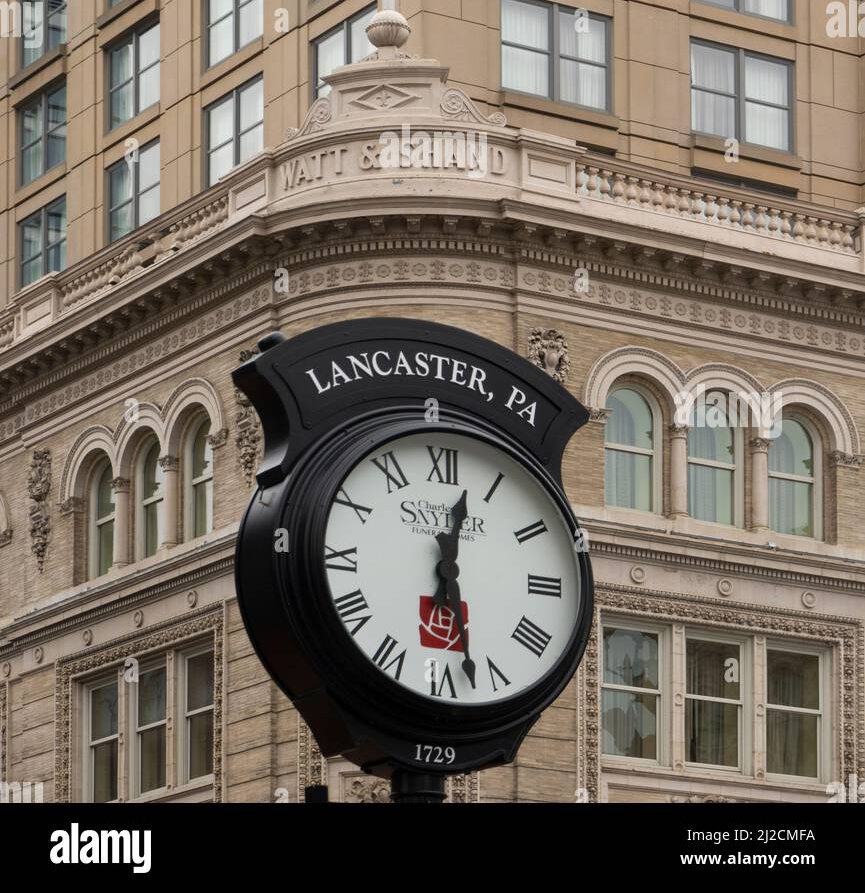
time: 12:27
